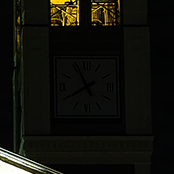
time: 7:55
